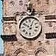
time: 12:49
